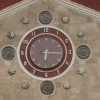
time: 6:15
